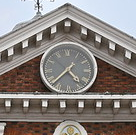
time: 4:37
